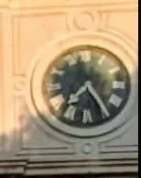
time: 7:24
